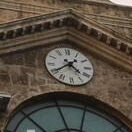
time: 4:39
